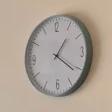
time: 1:21
